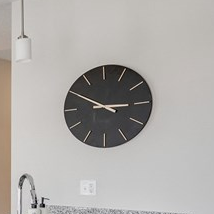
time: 2:50
